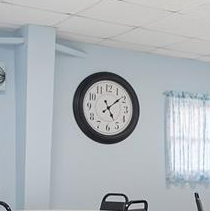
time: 5:08
